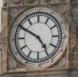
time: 4:50
